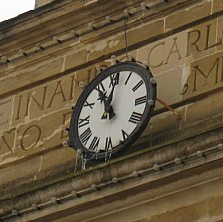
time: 11:00
